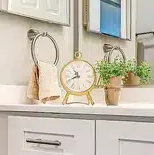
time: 10:41
